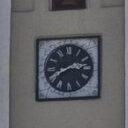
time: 2:40
